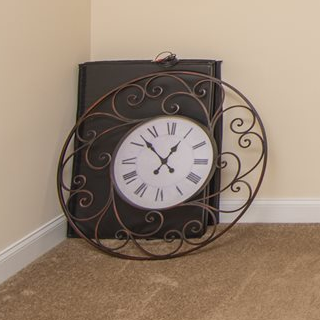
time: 12:52
